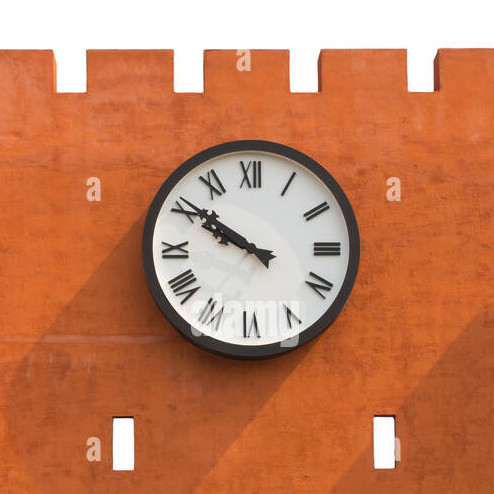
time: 9:50
